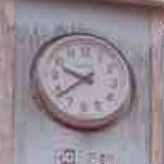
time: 9:38
